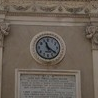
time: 11:20
